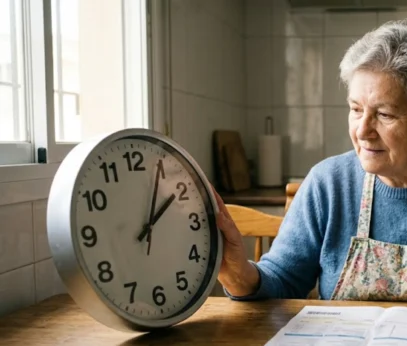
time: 2:04
